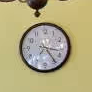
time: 3:24
